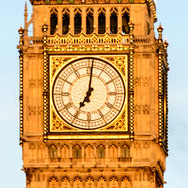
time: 7:01
